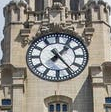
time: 1:23
